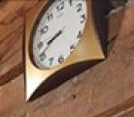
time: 8:41
